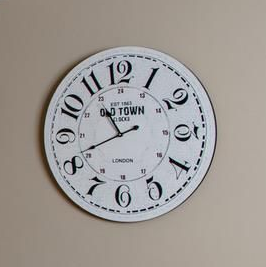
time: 10:41
